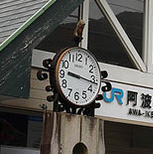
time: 9:16
